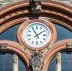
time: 1:55
